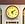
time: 5:08
